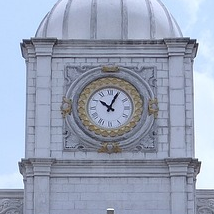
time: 10:04
